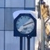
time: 2:11
